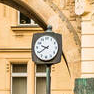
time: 9:39
